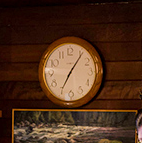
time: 7:06
